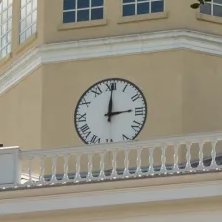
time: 3:00
